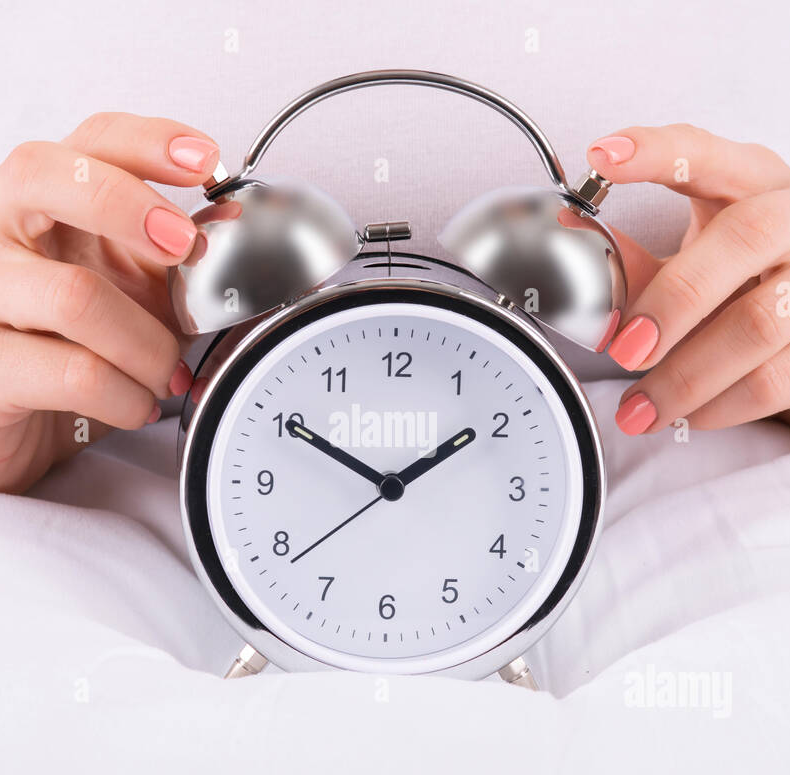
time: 1:50
